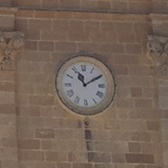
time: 11:09
